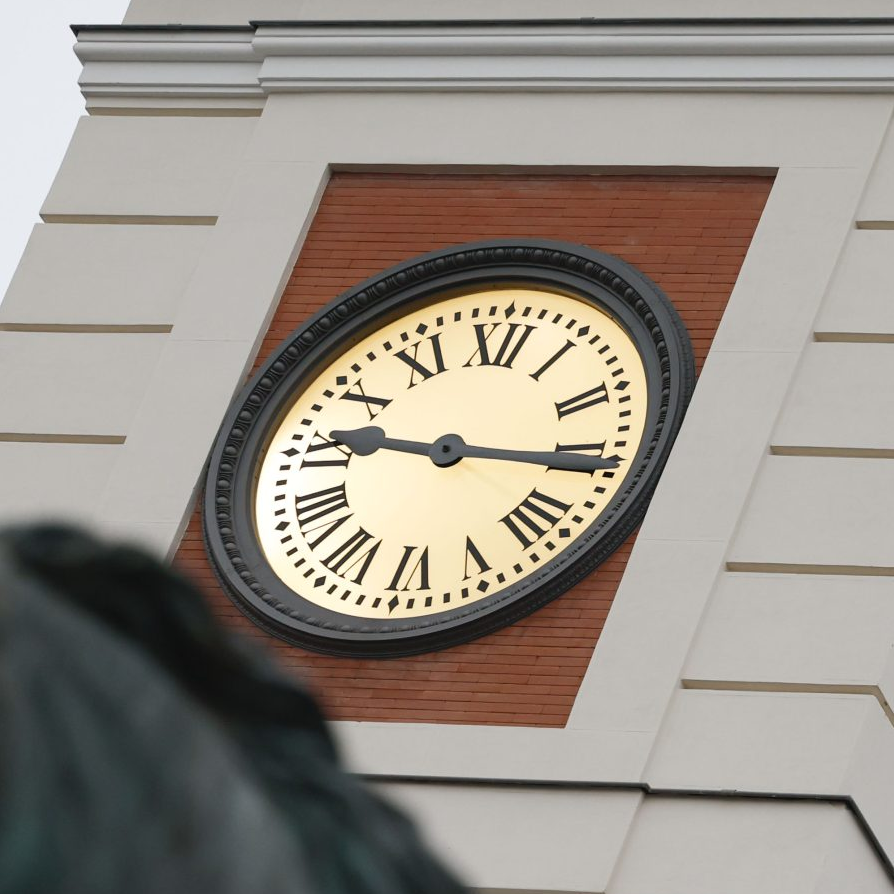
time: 9:15
